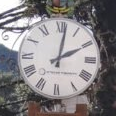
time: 2:01
